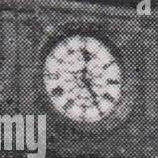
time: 12:24
